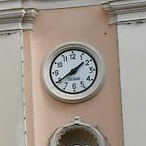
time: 1:39
